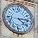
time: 4:14
